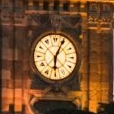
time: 6:04
